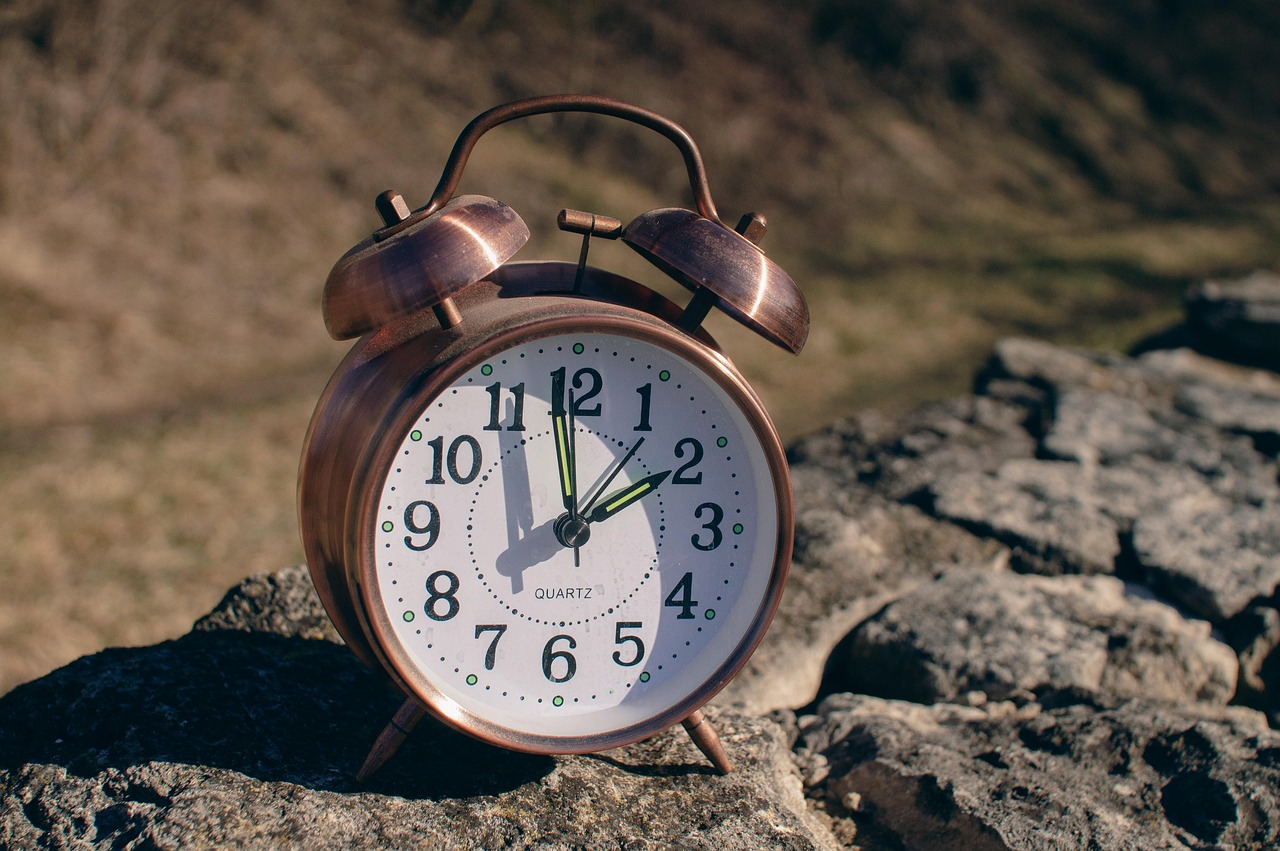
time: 1:59
